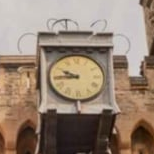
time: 9:44
